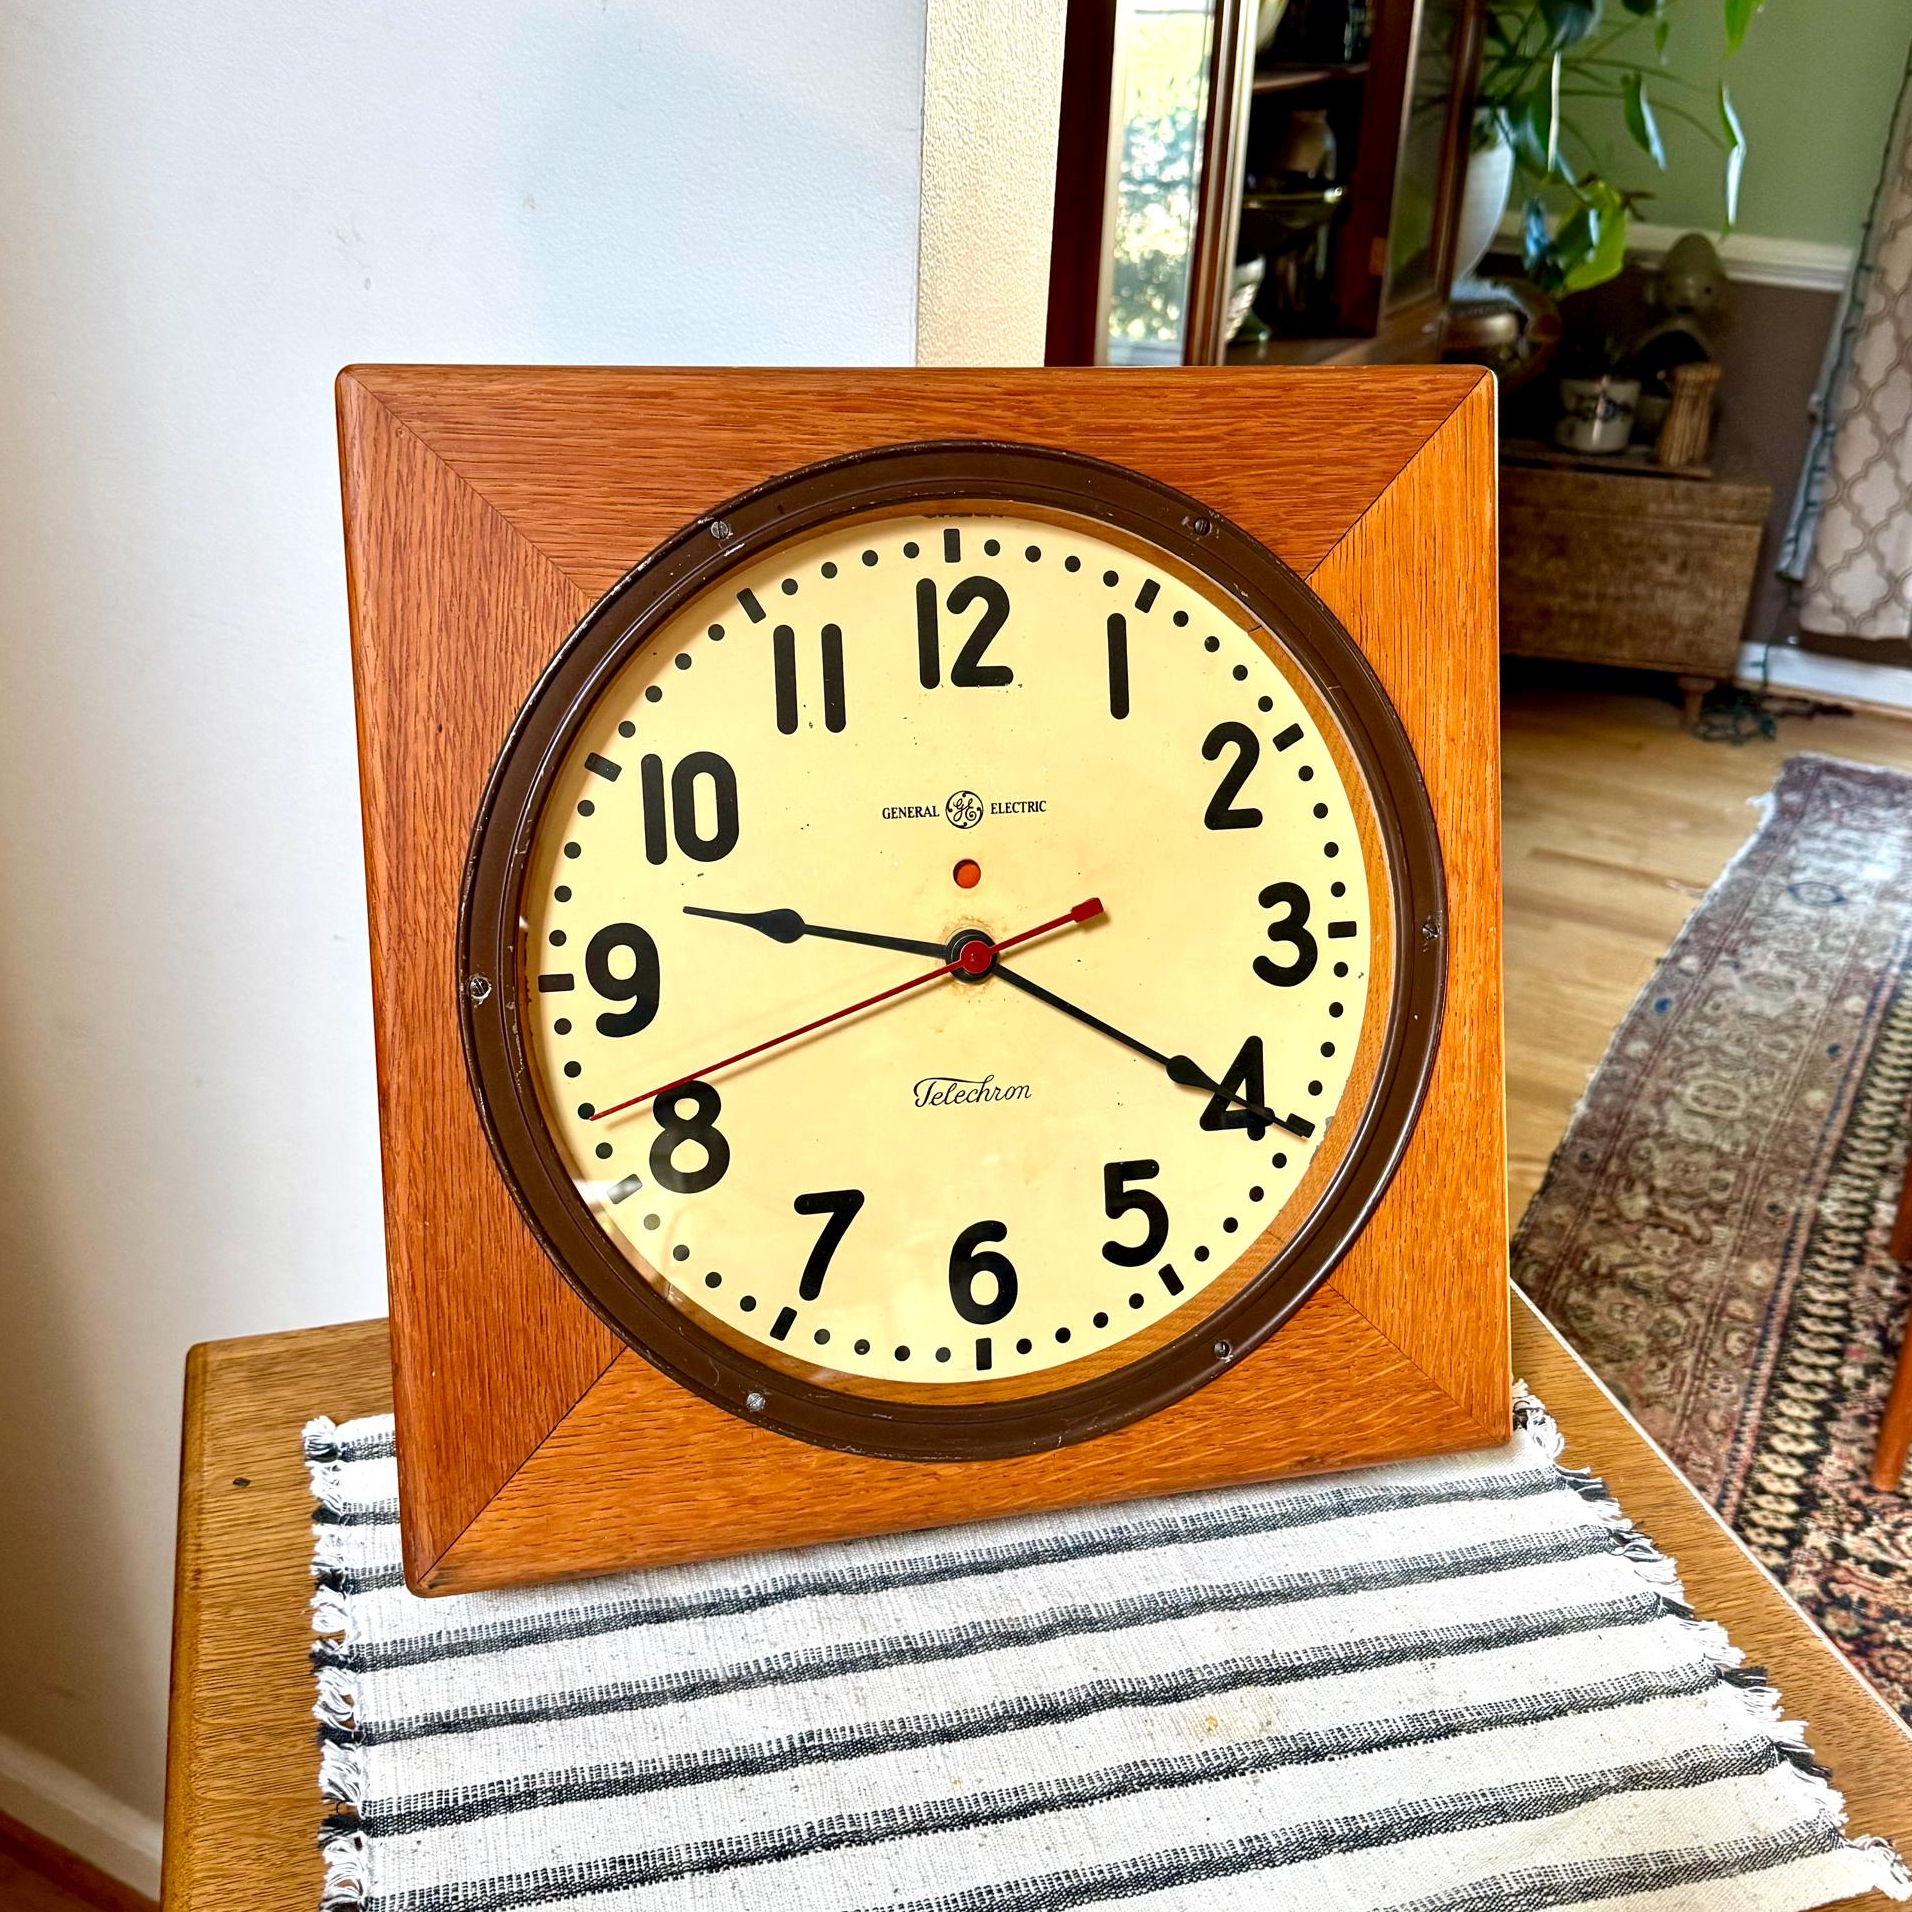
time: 9:20
